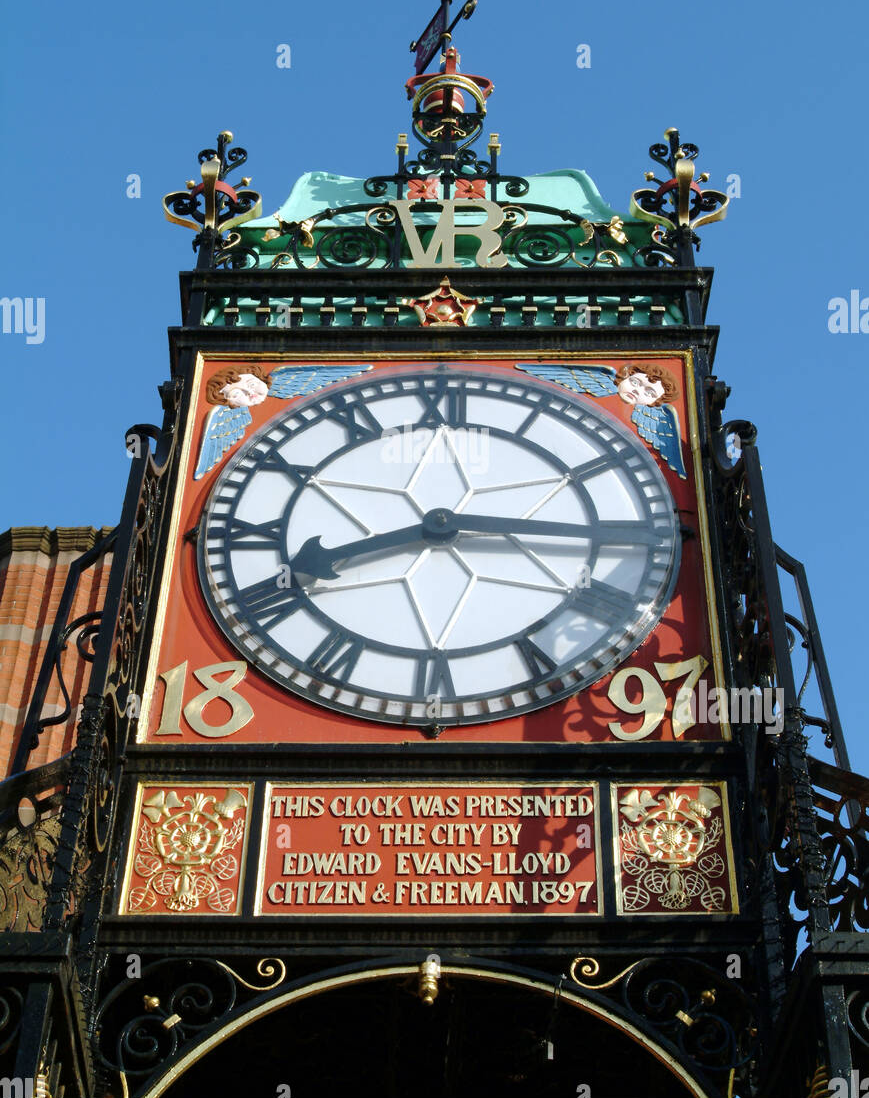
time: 8:15
